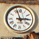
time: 2:56
